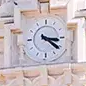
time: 3:21
